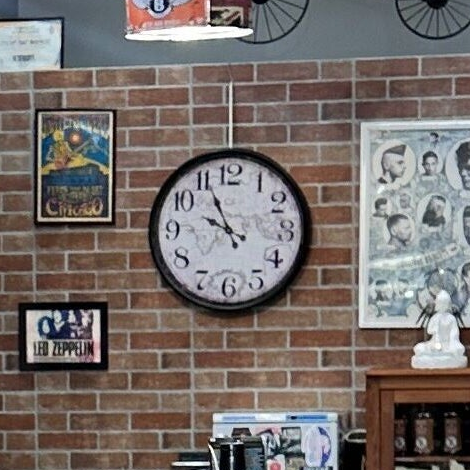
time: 9:55
